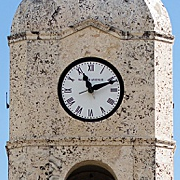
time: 11:11
